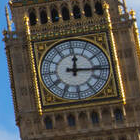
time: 12:16
